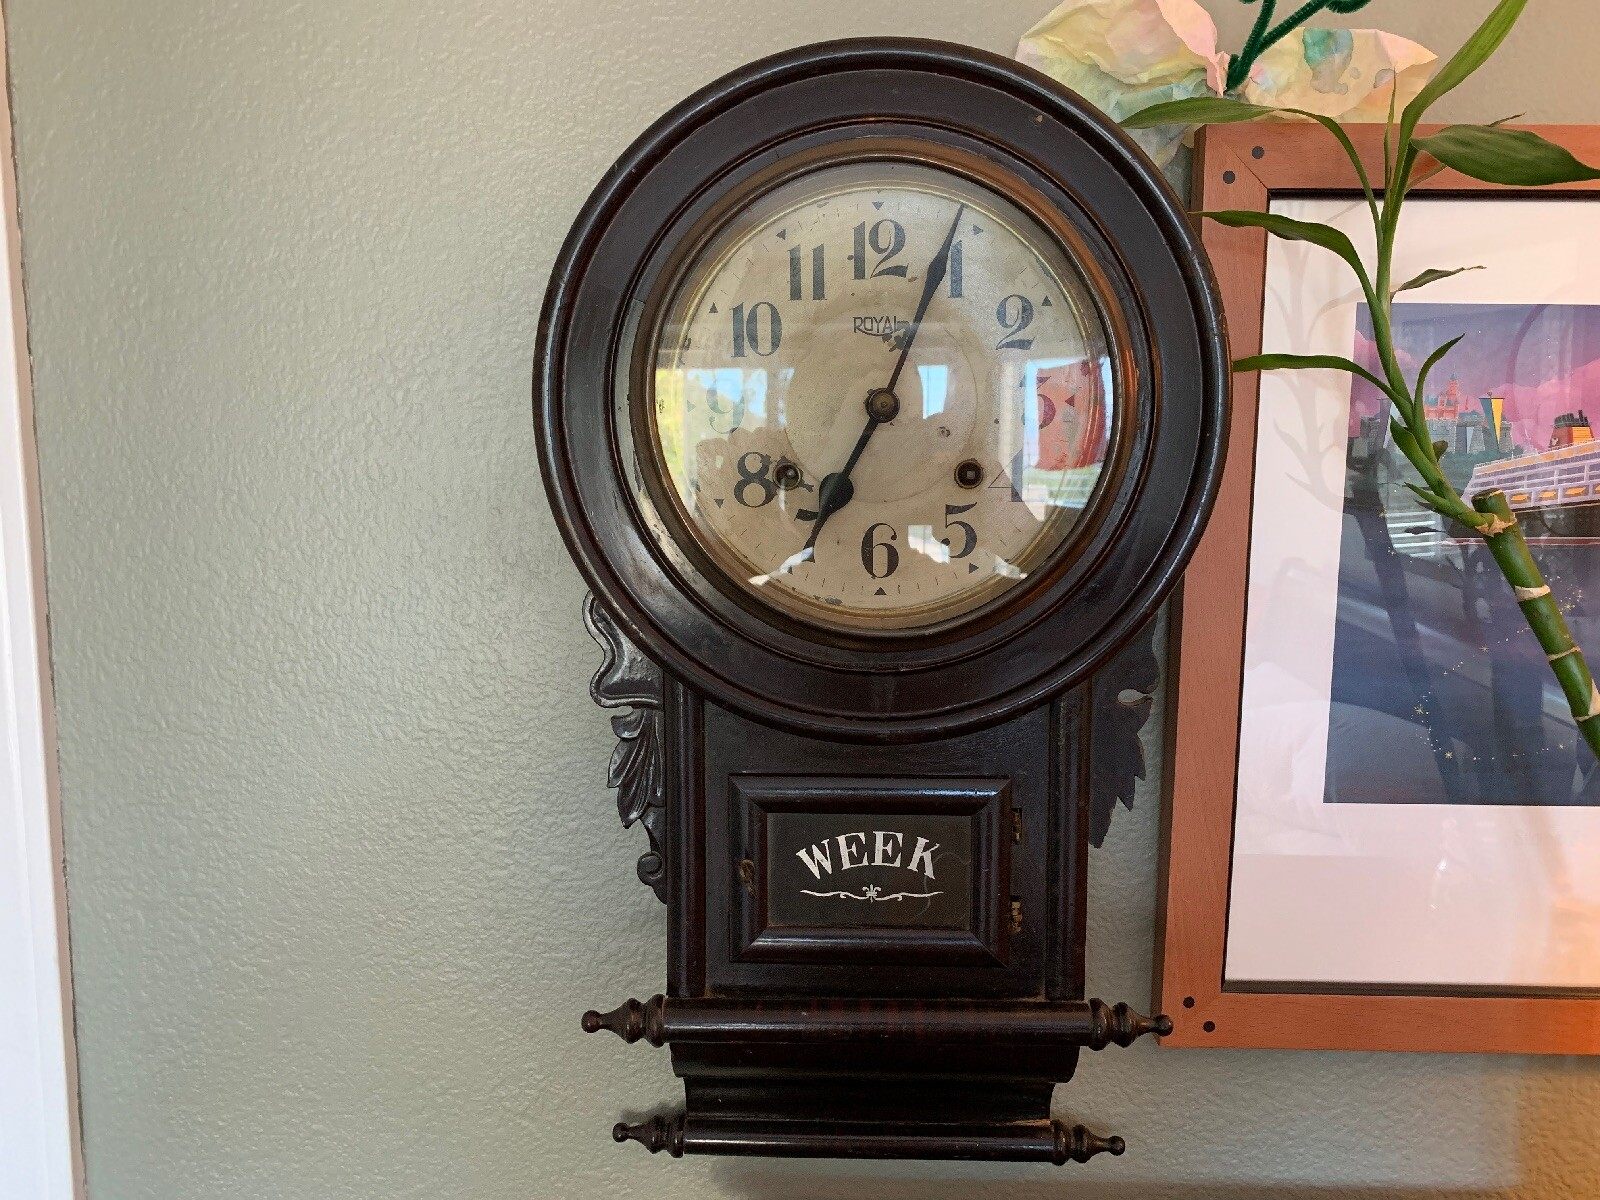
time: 7:04
